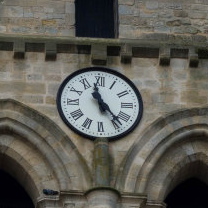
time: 11:23
